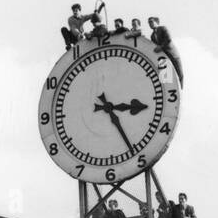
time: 3:25
